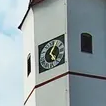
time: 1:23
